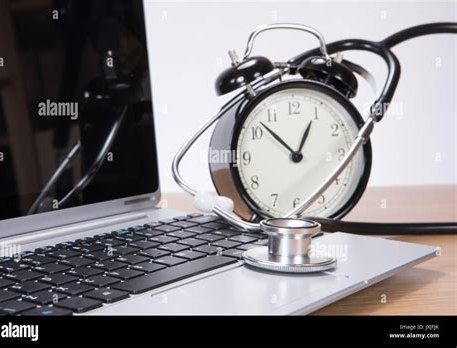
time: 12:52
